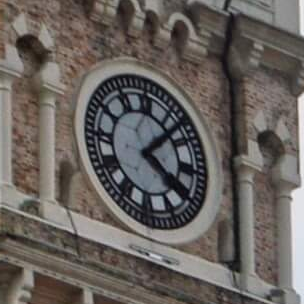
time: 4:07
